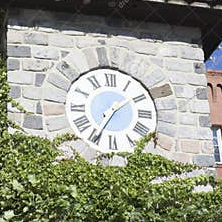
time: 1:34
